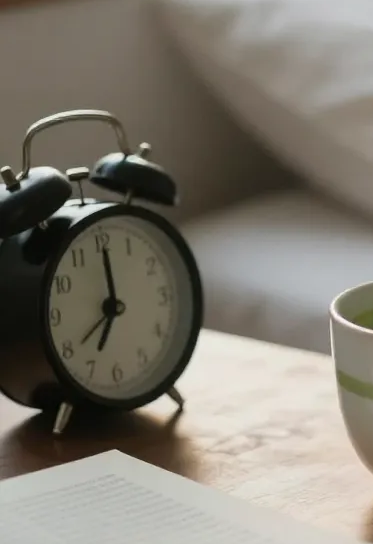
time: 7:00
